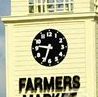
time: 6:46
